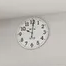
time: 10:00
